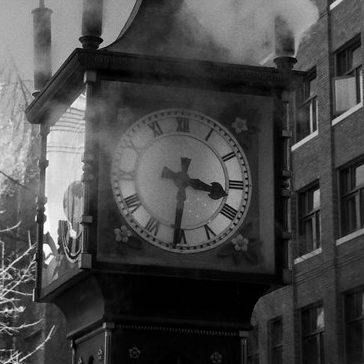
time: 3:31
